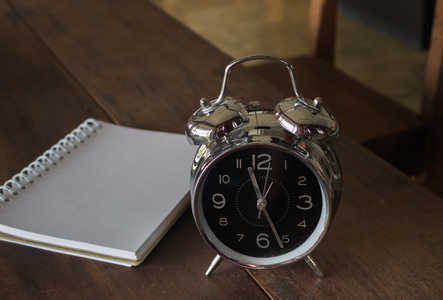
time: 11:26
